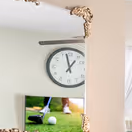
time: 12:57
